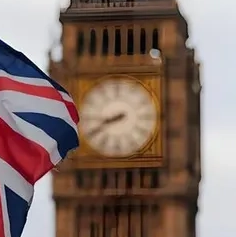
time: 8:40
